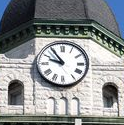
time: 9:54
